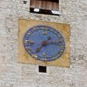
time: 7:13
